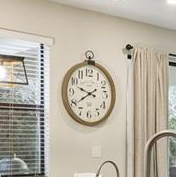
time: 9:39
